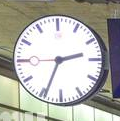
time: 2:33
